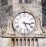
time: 3:26
